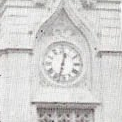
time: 12:32
